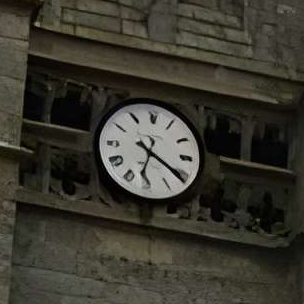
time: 6:20
